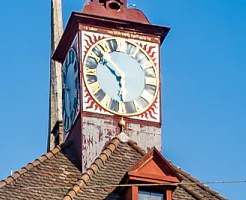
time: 5:51
